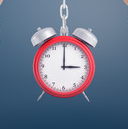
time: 2:59
